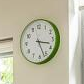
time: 3:26
